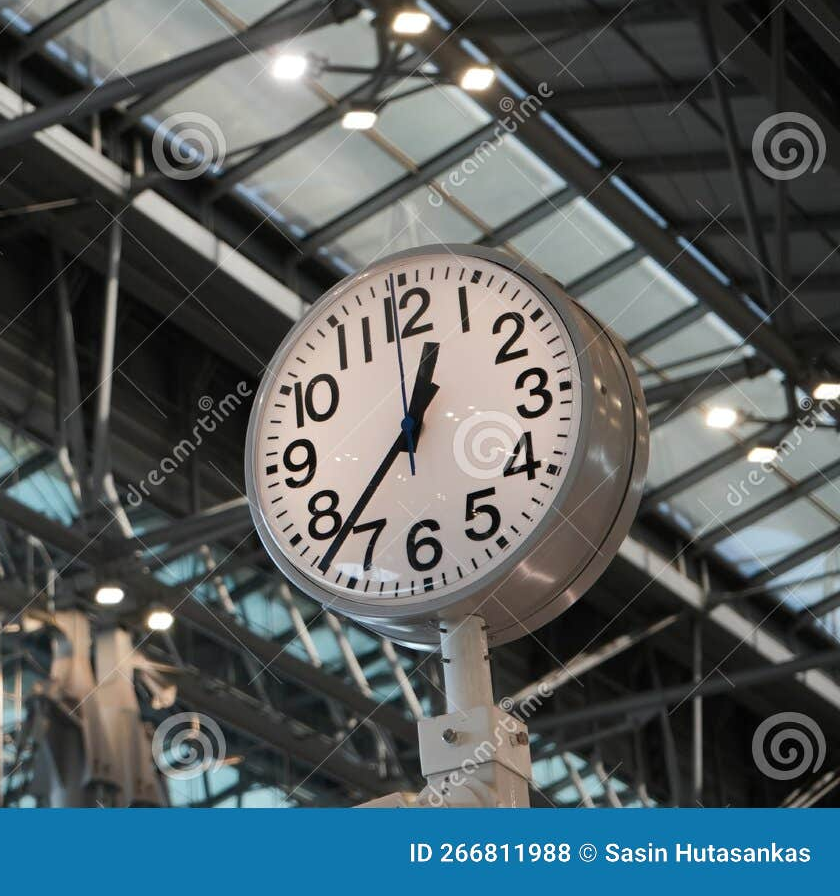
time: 12:37
